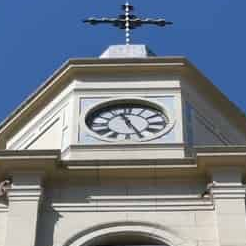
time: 11:25
